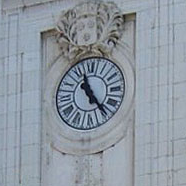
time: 11:24
